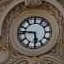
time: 5:46
